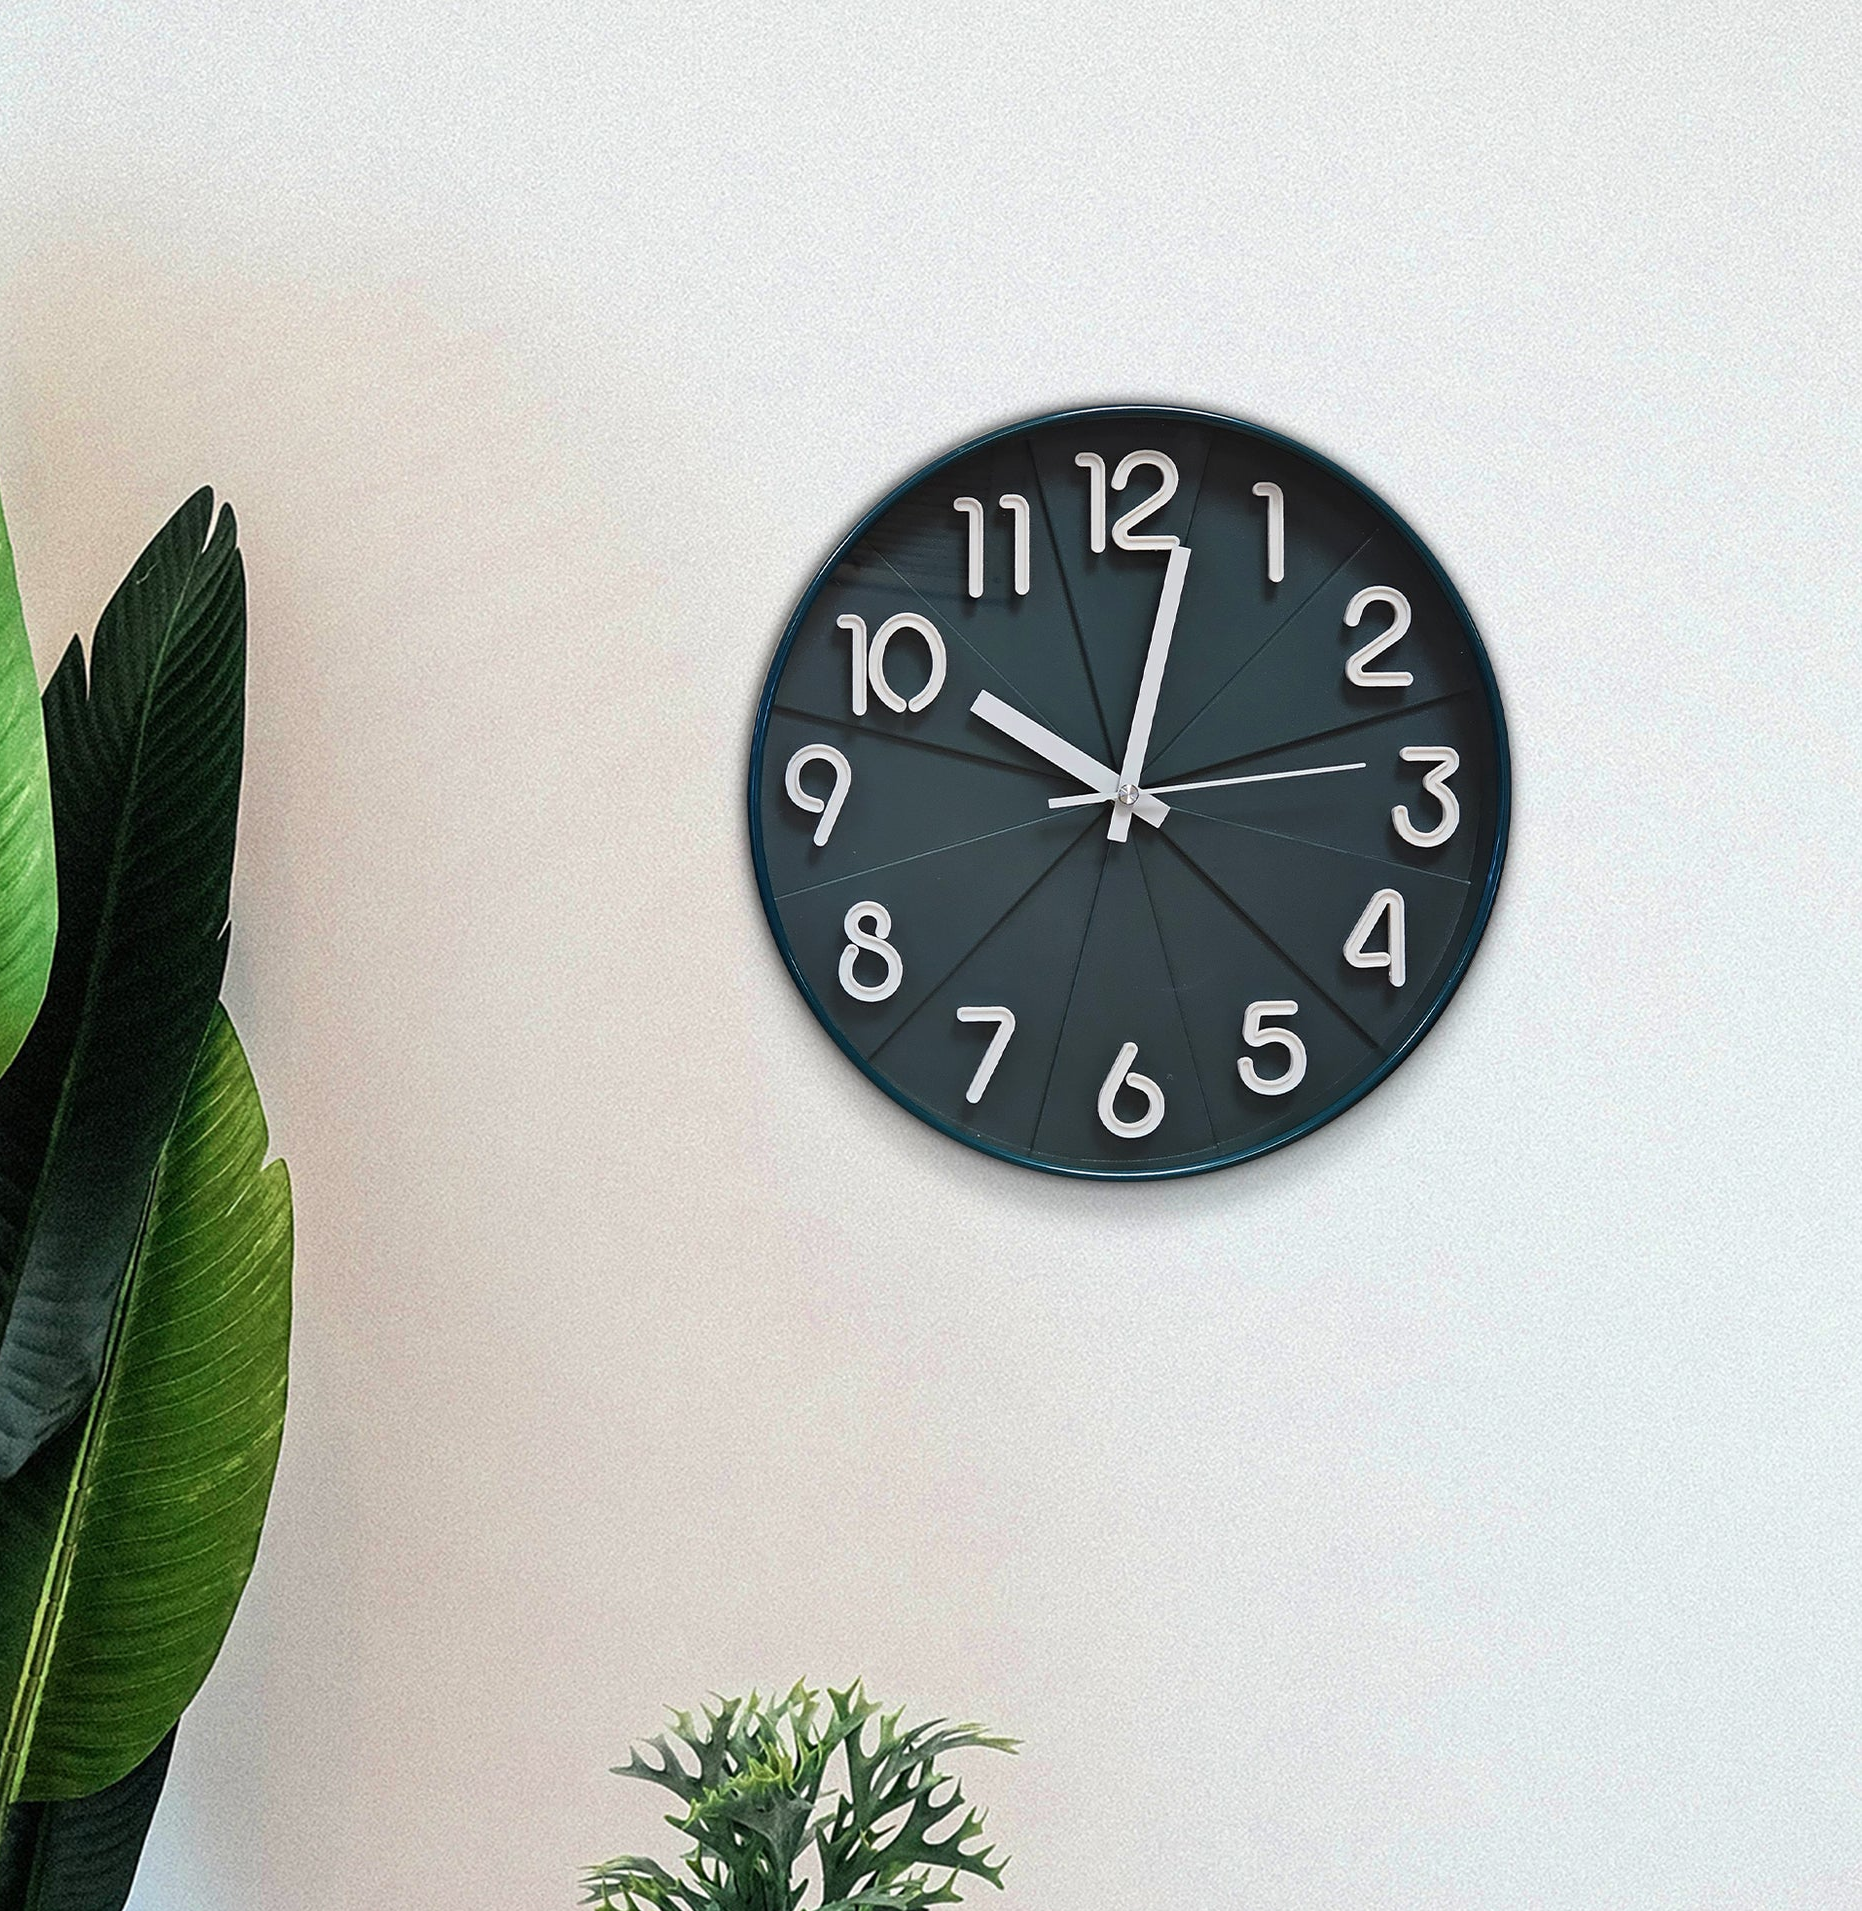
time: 10:02
